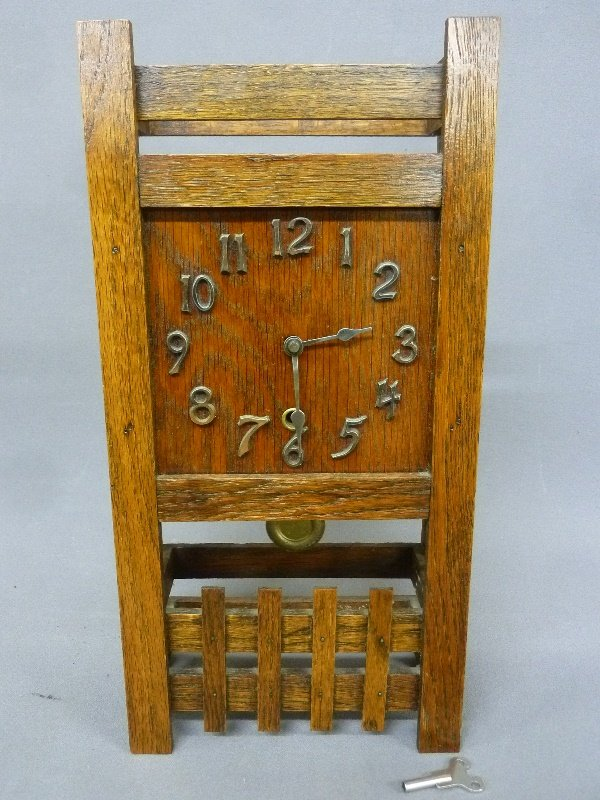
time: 6:13
